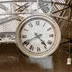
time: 4:40
